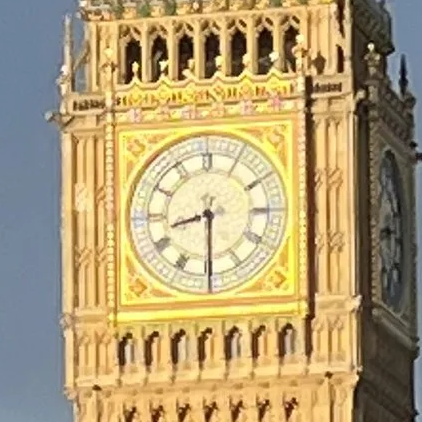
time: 8:29
